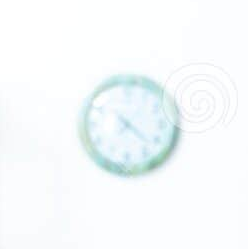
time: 7:22
